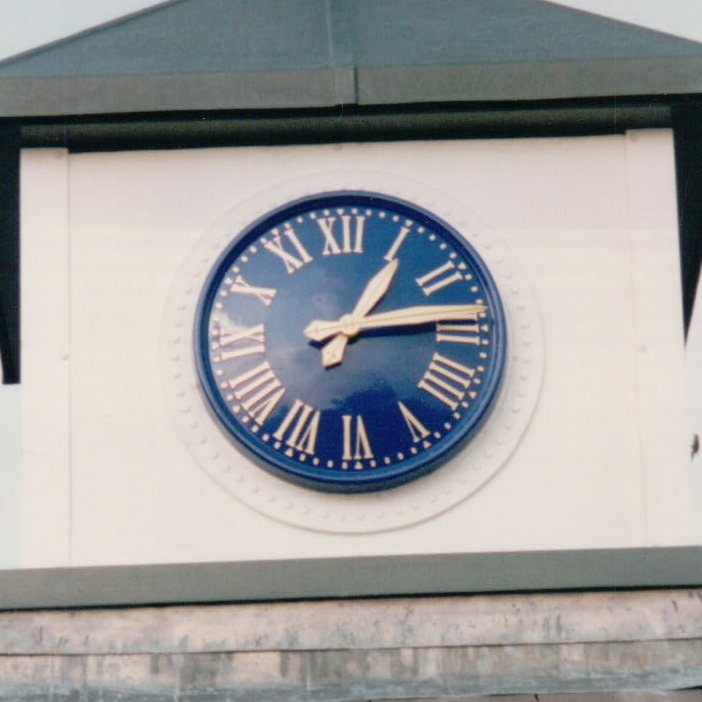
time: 1:13
